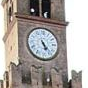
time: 5:23
